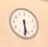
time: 5:29
